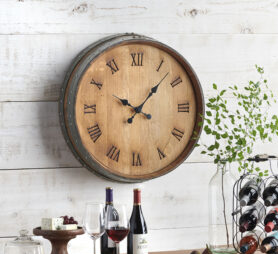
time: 10:07
